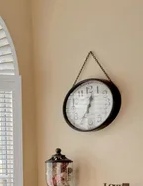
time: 12:34
